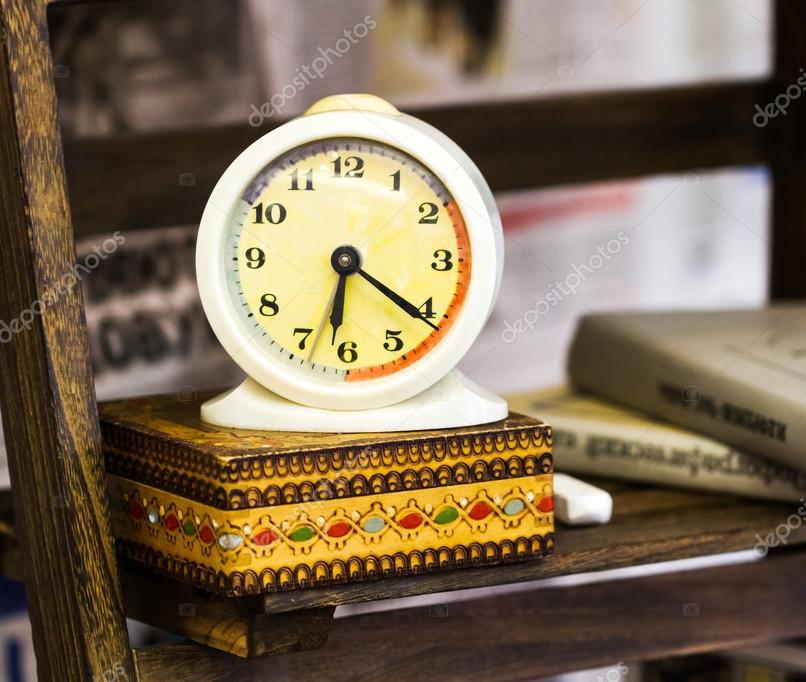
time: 6:21
